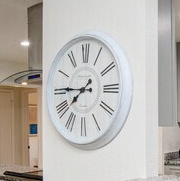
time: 7:45
